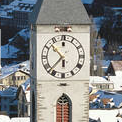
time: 5:37
